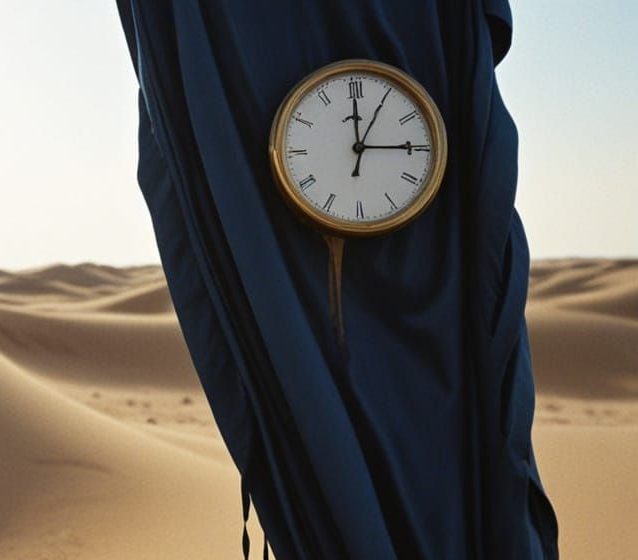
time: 3:00
